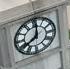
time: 8:01
